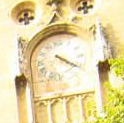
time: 4:20
